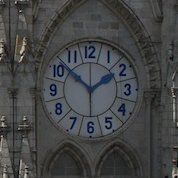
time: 1:51
